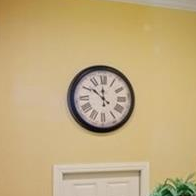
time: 11:51
